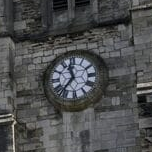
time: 11:36
